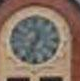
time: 12:33
